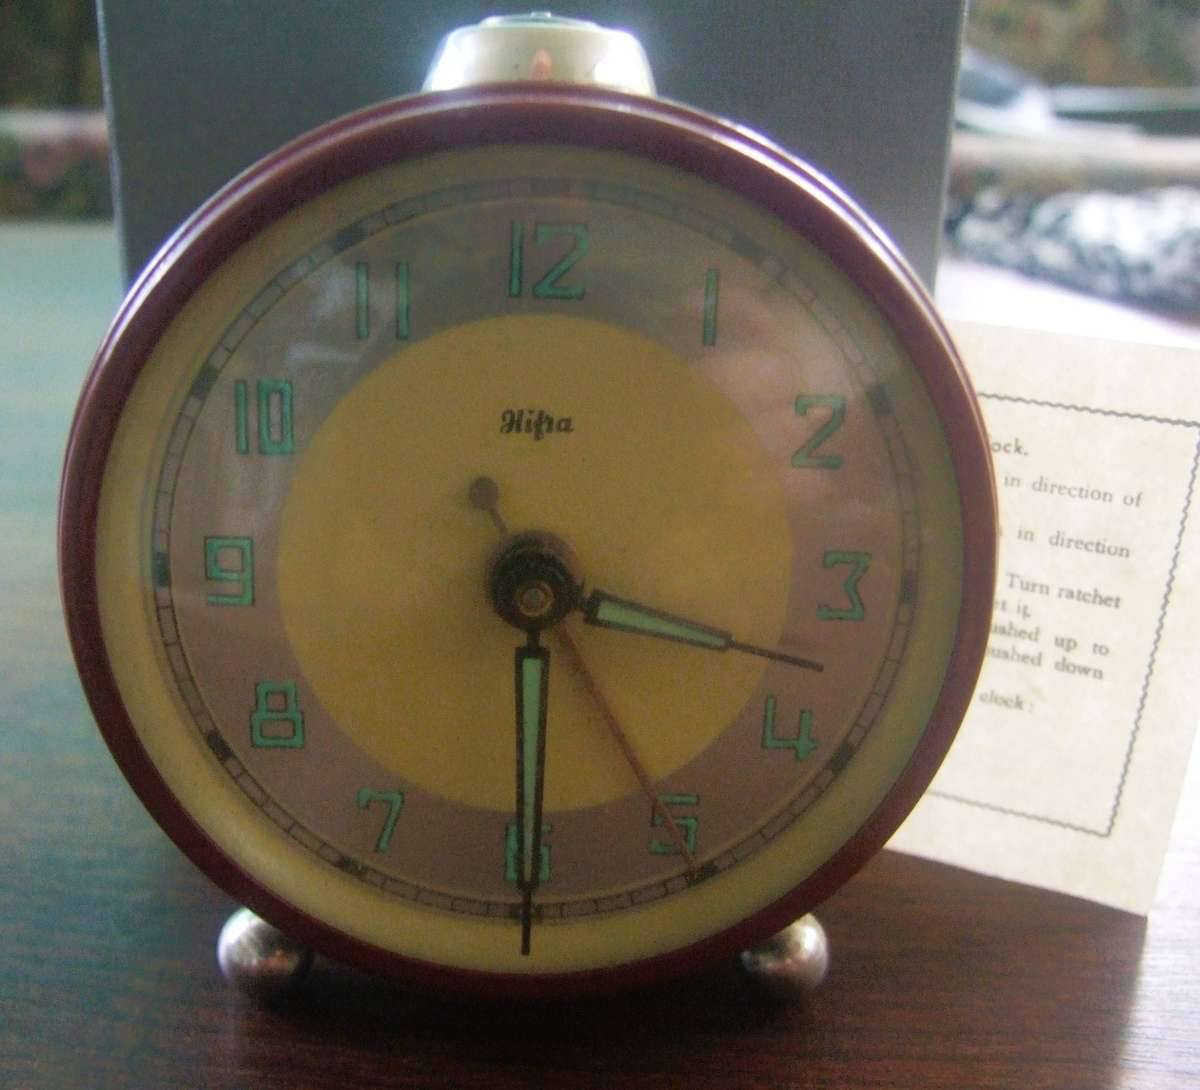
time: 3:30
